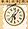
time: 6:06
